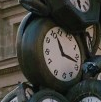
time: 11:17
